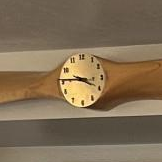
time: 3:45
